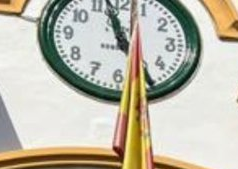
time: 4:57
